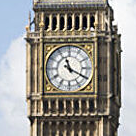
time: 11:19
